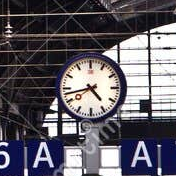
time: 4:42
